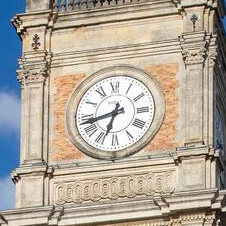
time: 6:42
